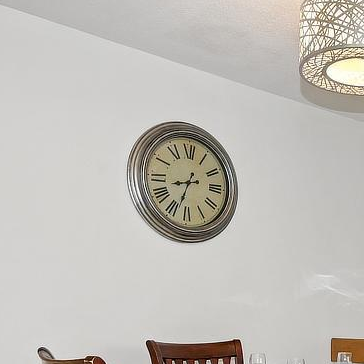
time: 8:33
